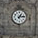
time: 1:13
